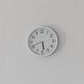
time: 5:41
